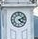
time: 4:11
